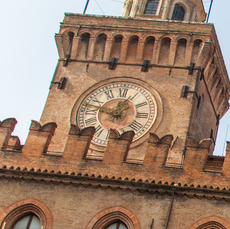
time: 12:47
